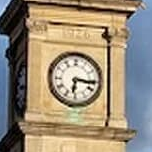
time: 6:16
